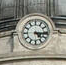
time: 4:15
